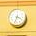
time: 3:34
